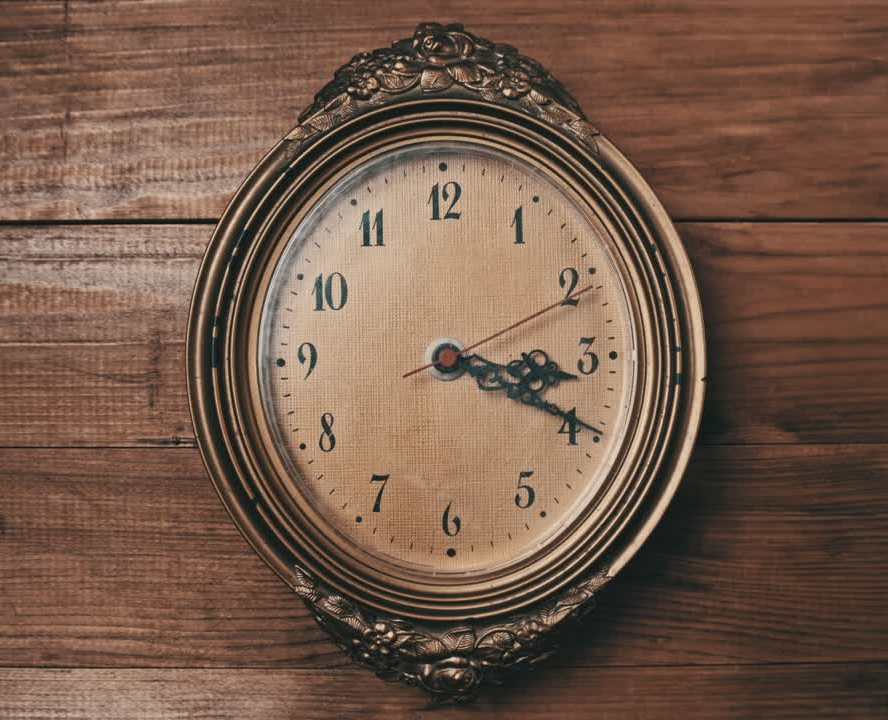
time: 3:19
